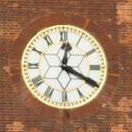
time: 12:19
